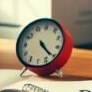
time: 4:21
